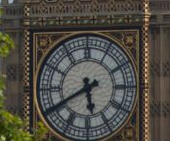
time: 5:40
